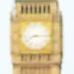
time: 8:14
